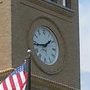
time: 1:43
